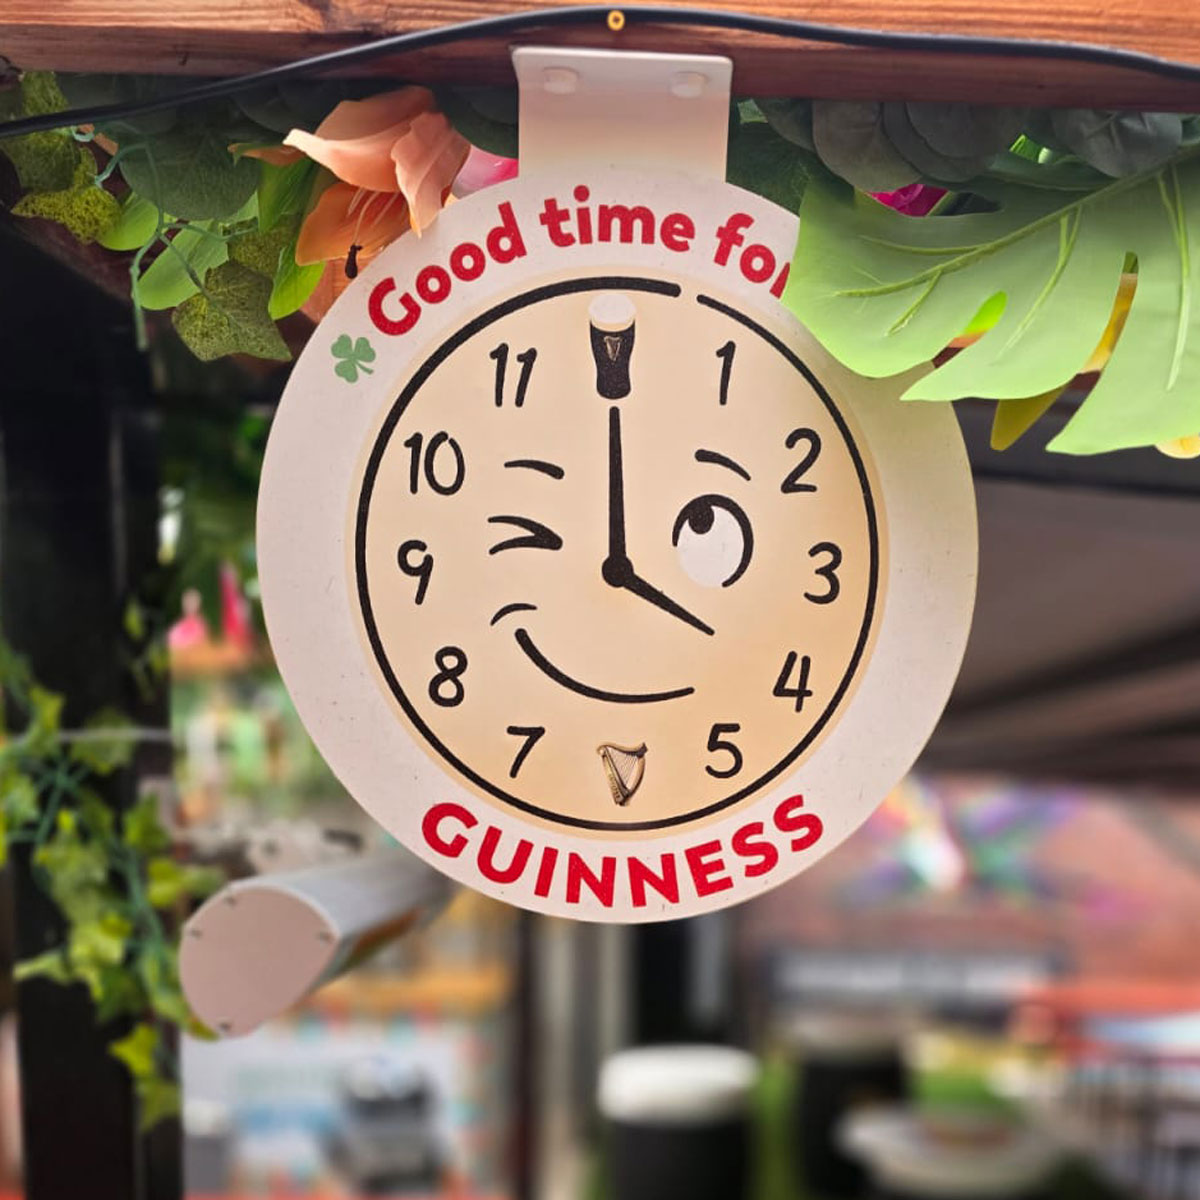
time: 4:00
